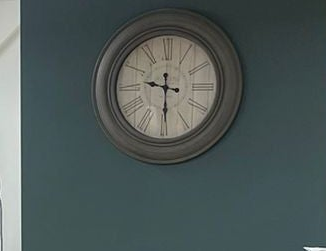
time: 9:29
